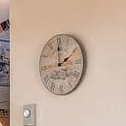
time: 2:00
